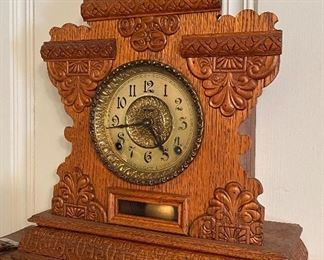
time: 4:44
